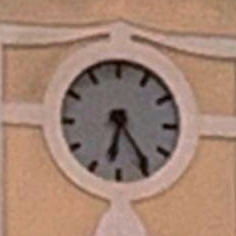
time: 6:24
